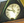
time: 10:47
